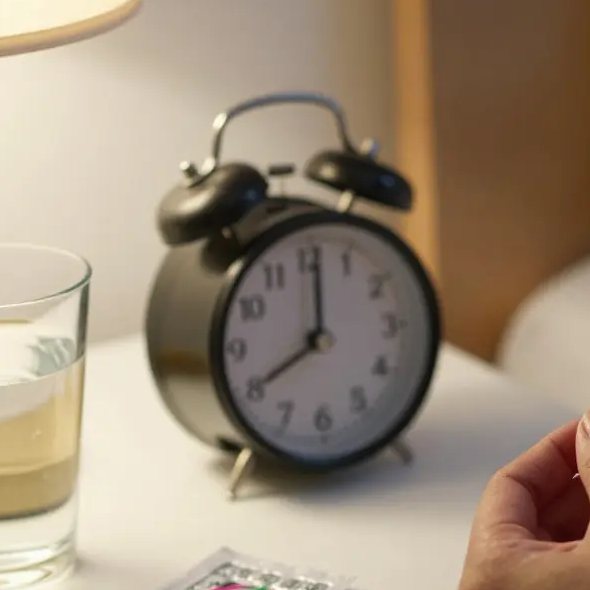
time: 8:01
